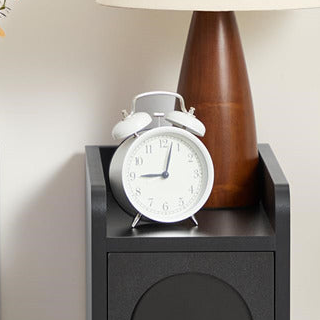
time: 9:02
